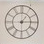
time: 1:14
